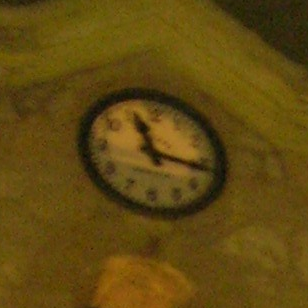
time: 11:16
